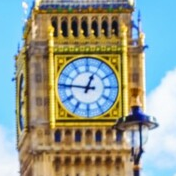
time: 12:46
